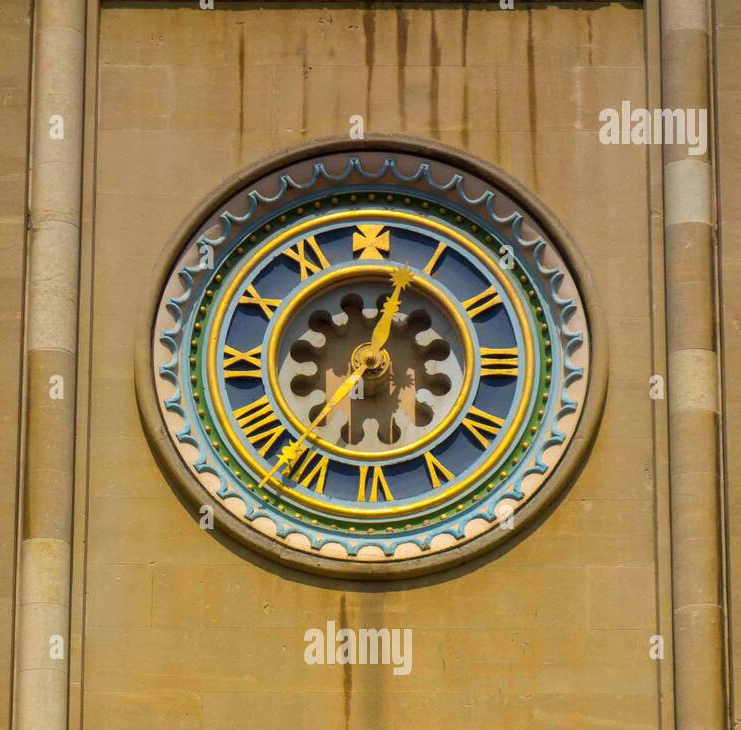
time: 12:36
